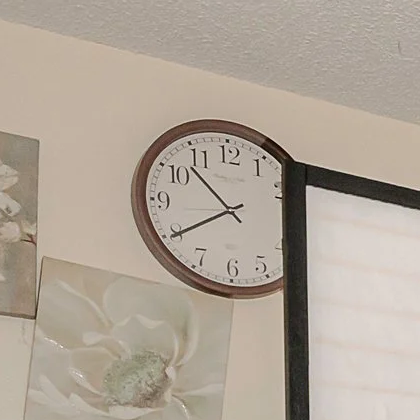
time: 10:39
